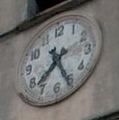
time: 7:25
